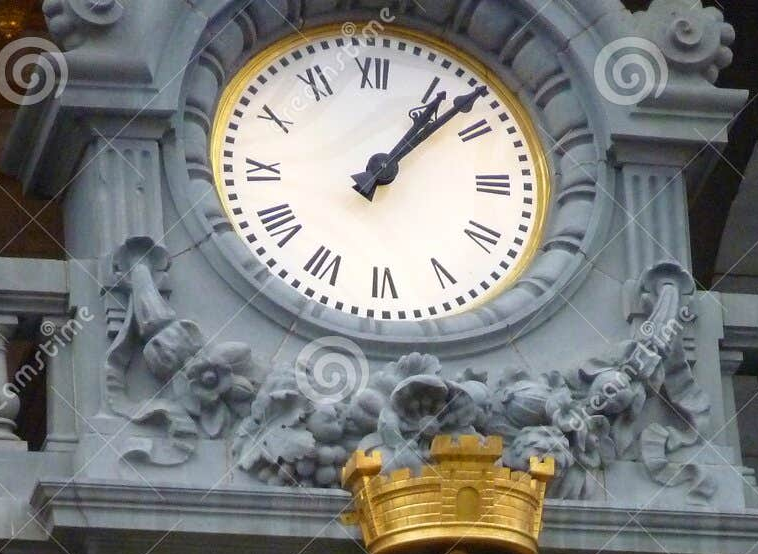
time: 1:07
